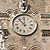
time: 11:52
